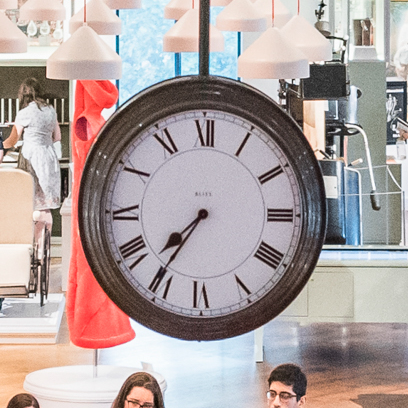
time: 7:35
